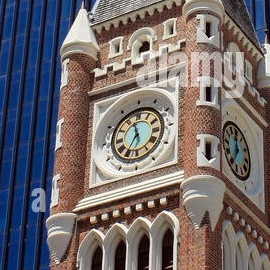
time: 6:58
